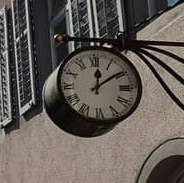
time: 12:09
